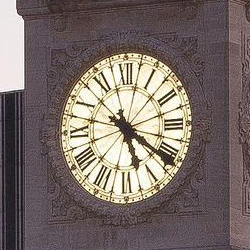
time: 5:20
